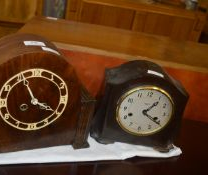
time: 1:20
